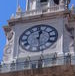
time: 12:28
